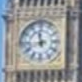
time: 11:42
